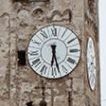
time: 6:27
